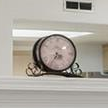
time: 4:35
